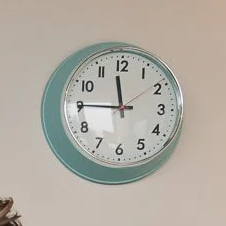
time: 11:45
